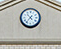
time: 4:36
